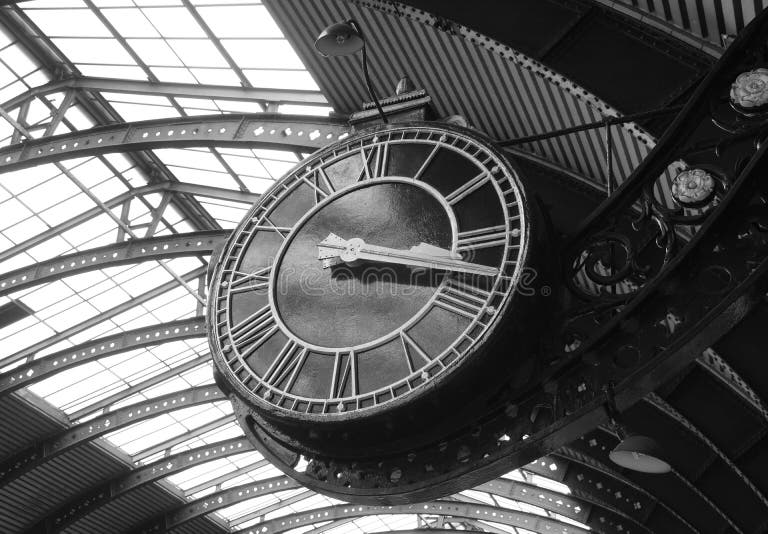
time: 3:17
